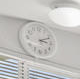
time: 3:11
